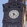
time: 6:21
